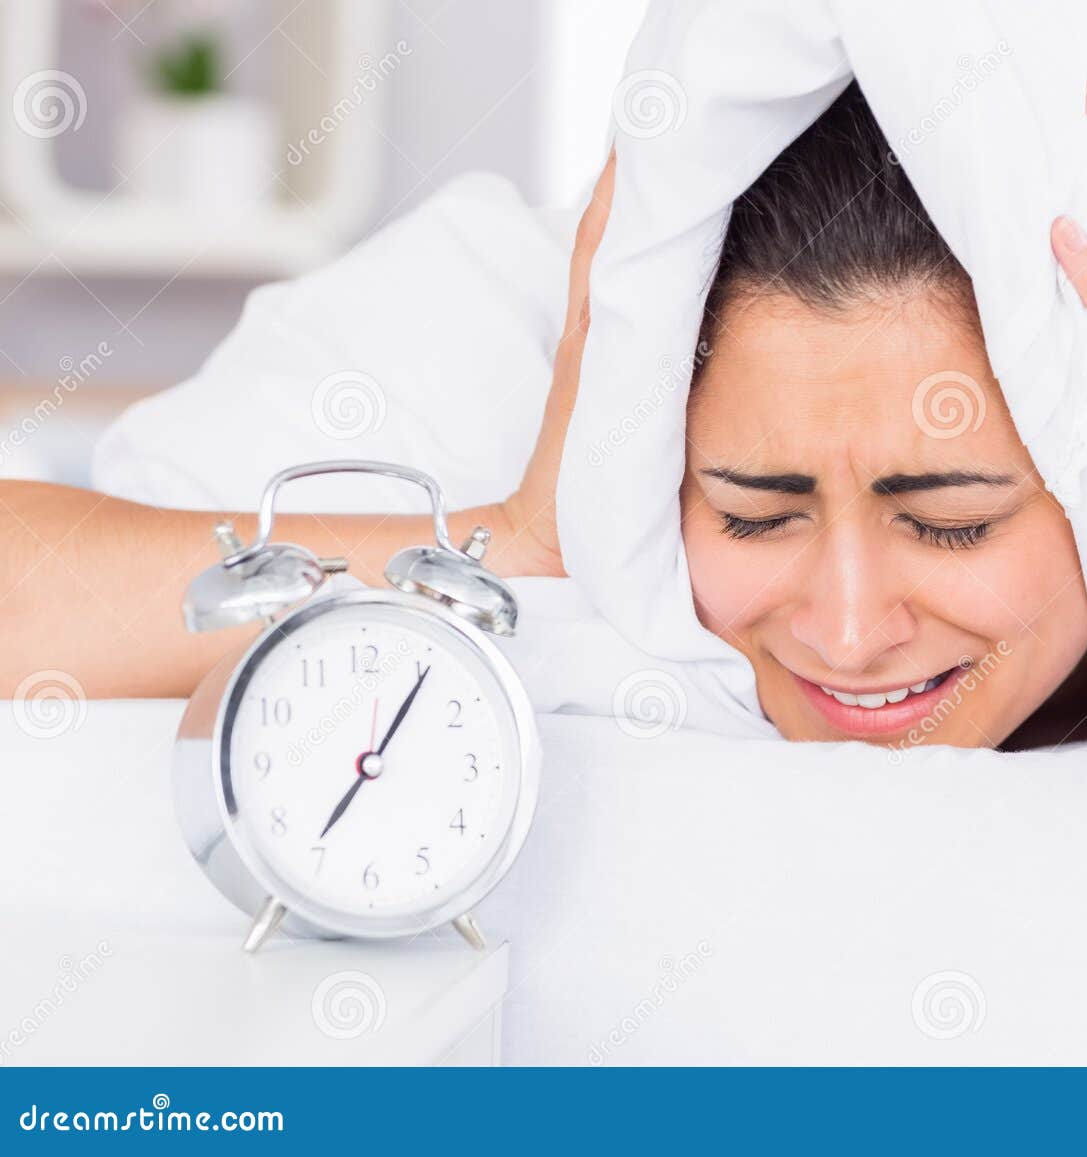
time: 7:05
